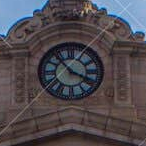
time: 3:53
